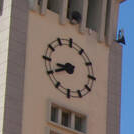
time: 8:40
